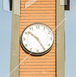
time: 10:24
